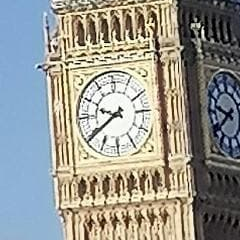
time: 9:39
